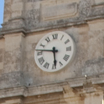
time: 5:46
